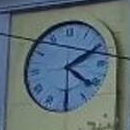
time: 4:10
